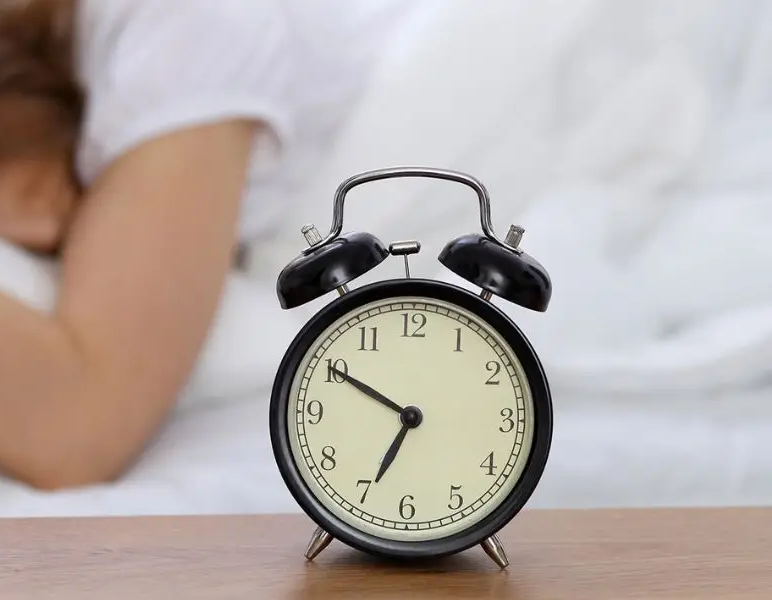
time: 6:50
